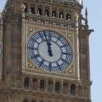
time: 11:57
